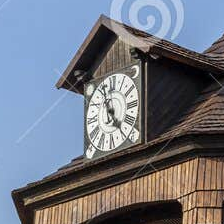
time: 4:57
